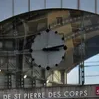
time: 3:13
